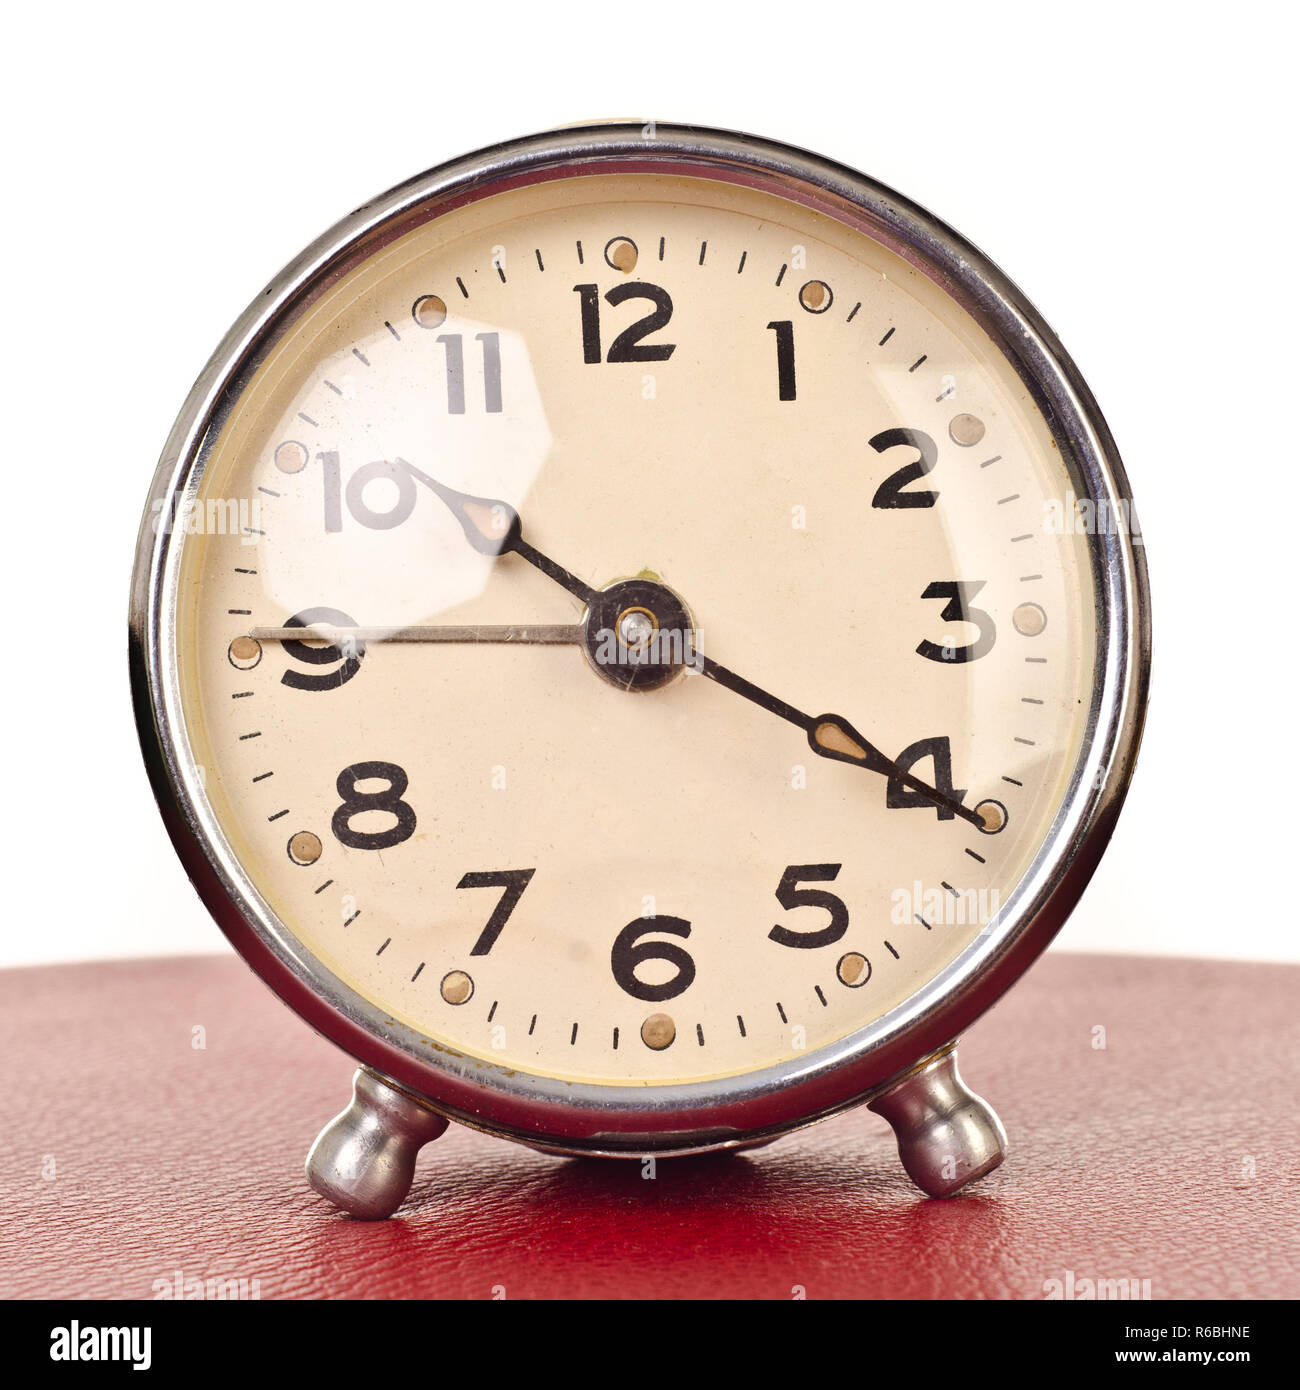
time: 10:20
